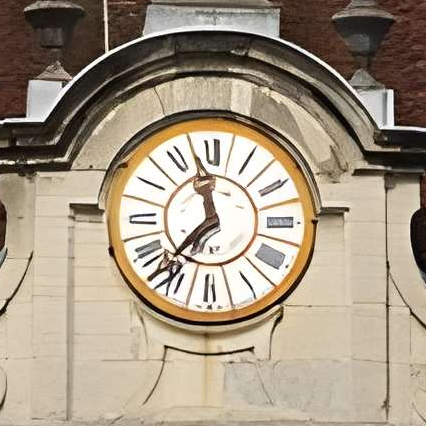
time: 11:36
